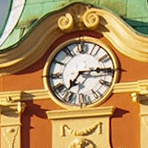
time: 7:15
